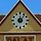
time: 12:06
